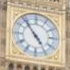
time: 4:53
